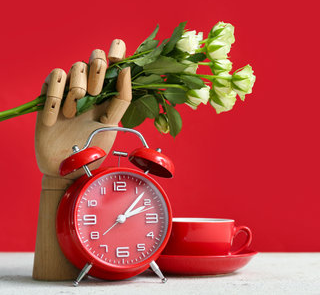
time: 2:07
